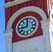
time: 9:01
